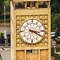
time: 3:19
